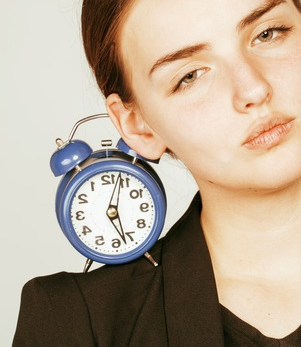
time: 12:27
